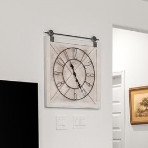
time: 11:25
